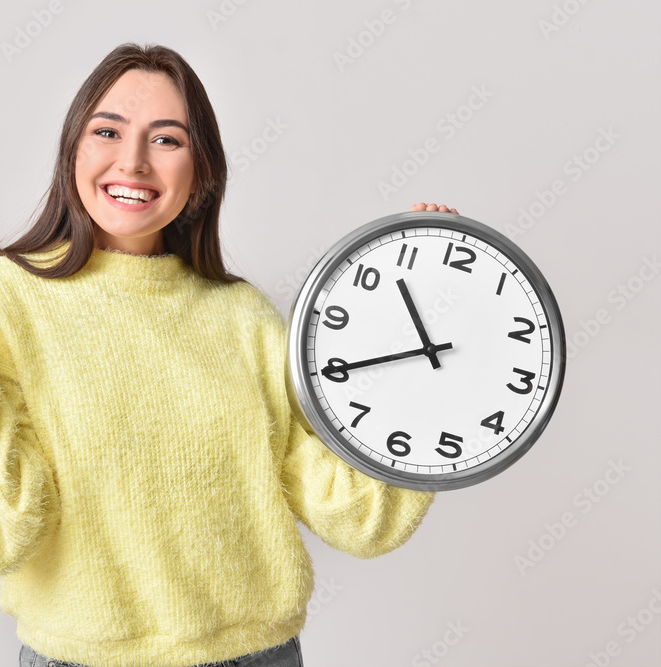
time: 10:39
